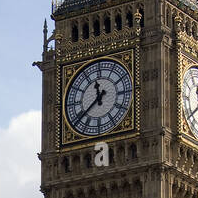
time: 11:38
